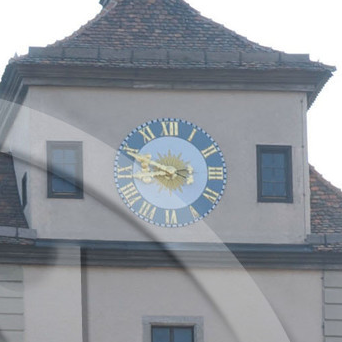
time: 8:48
